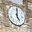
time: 5:00
